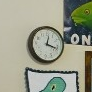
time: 12:17
